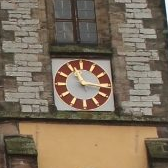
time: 11:16
